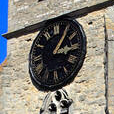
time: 3:05
